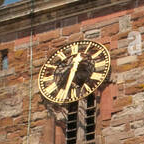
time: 12:32
